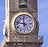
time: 11:47
